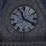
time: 11:19
